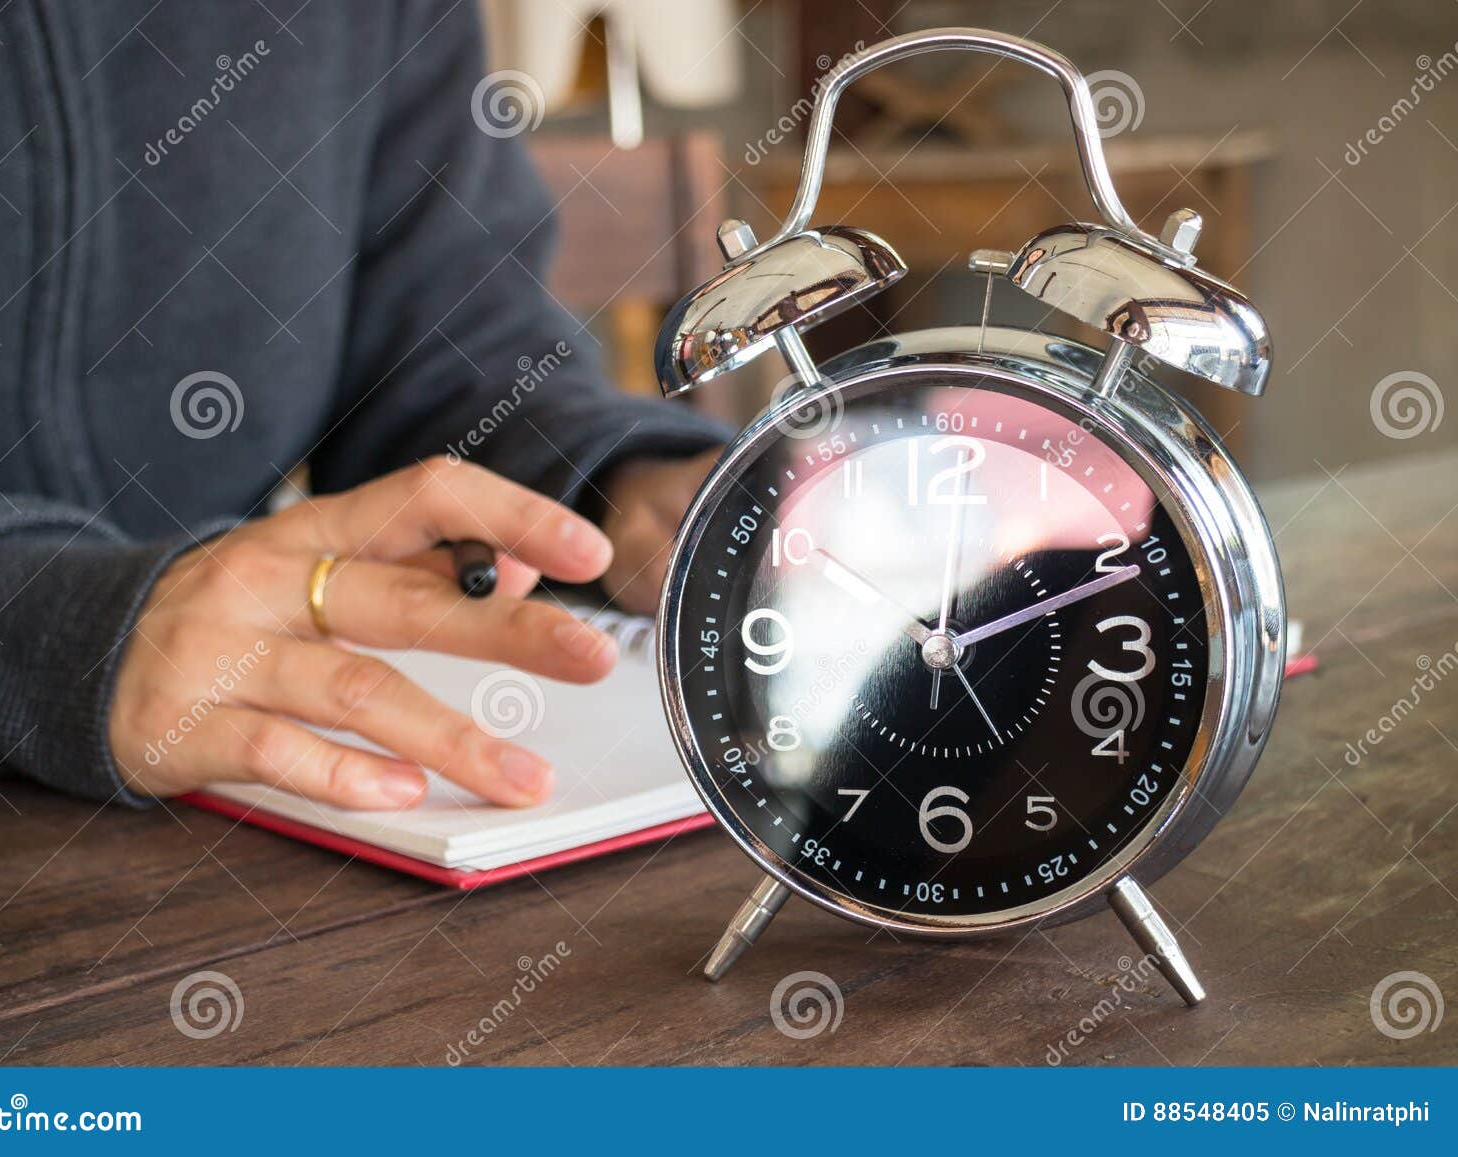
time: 2:11
